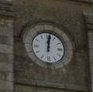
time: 12:01
